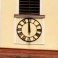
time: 11:59
